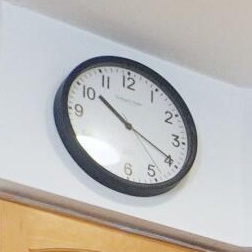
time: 10:19
